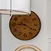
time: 9:20
